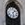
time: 1:28
